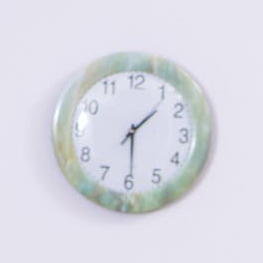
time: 1:29
